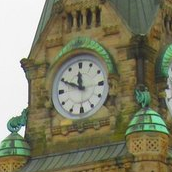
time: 11:49
